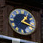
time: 1:18
